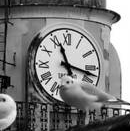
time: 11:17
